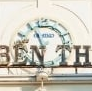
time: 5:56
